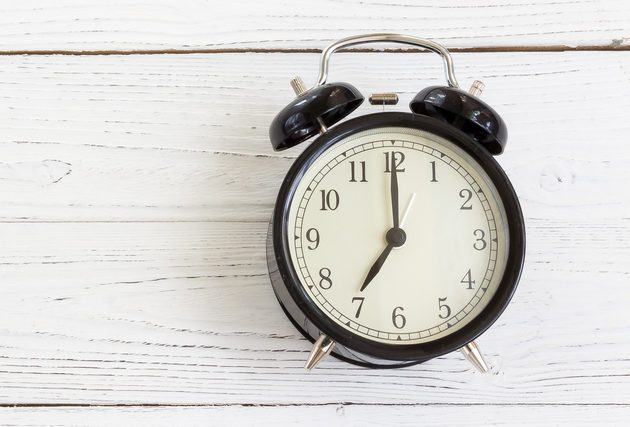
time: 7:00
